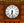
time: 6:28
